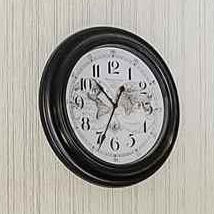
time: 10:34
